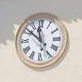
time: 11:51
